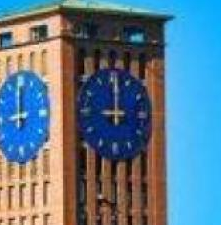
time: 9:00
